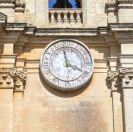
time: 3:58
